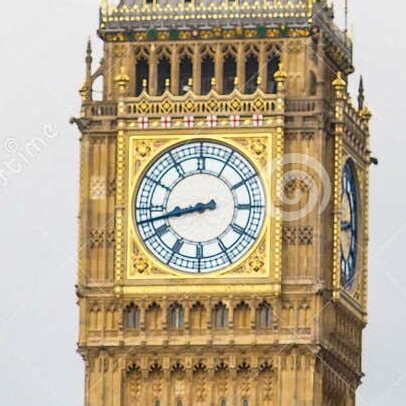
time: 8:42
